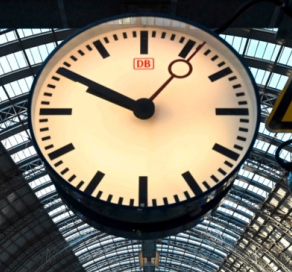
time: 9:50
